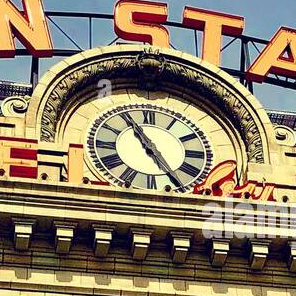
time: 4:55
